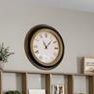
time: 11:07
